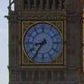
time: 8:36
